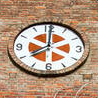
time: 10:00
